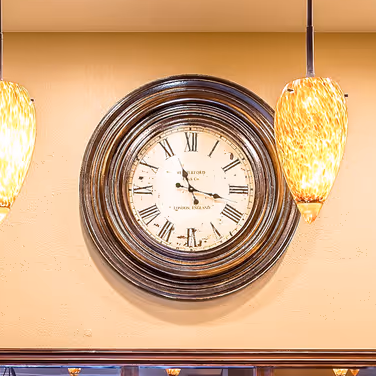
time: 11:17
